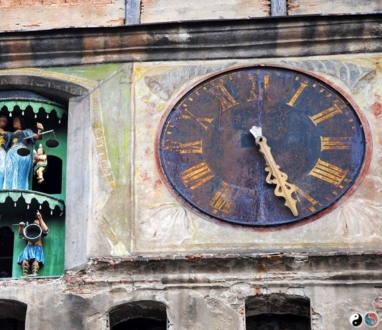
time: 5:26
